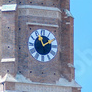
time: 11:10
